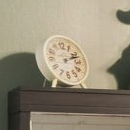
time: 2:11
